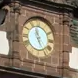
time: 11:25
